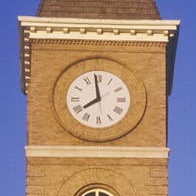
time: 7:58
